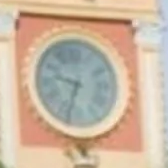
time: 9:33
